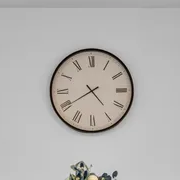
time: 4:40
